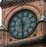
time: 11:30
